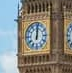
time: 12:01
